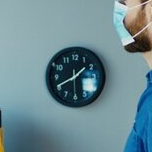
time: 1:40
